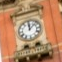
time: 12:07
